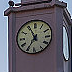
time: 6:55
